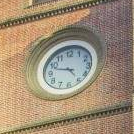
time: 4:48
